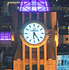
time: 6:24
